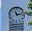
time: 11:12
